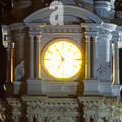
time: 6:54
